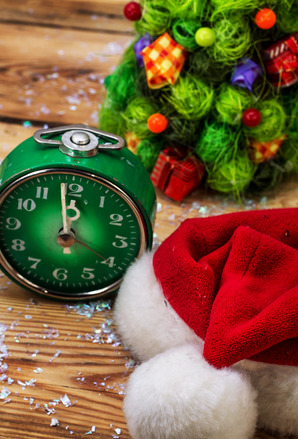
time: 11:58
